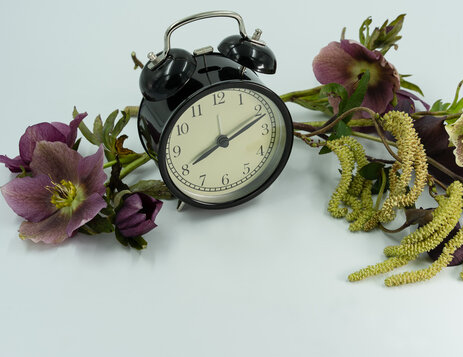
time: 8:11
